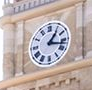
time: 1:17
